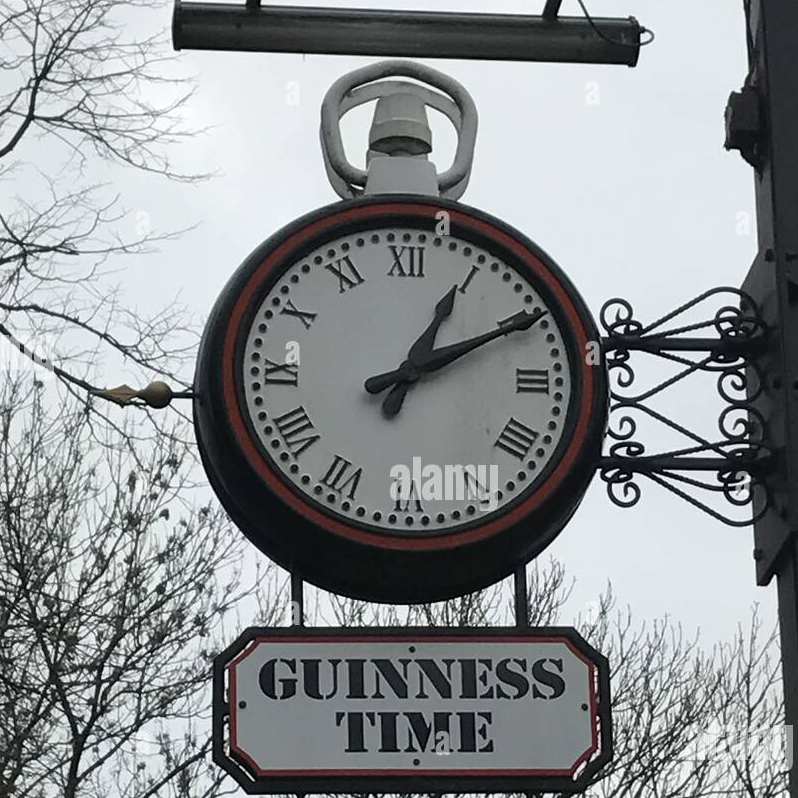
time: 1:10
